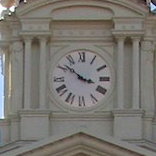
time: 3:51
